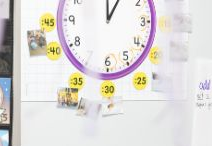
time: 12:05
